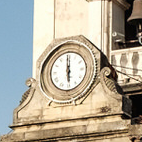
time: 5:59
